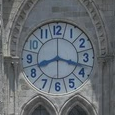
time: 8:18
